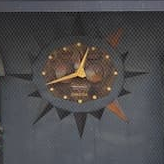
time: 12:41
